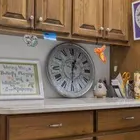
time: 12:30
